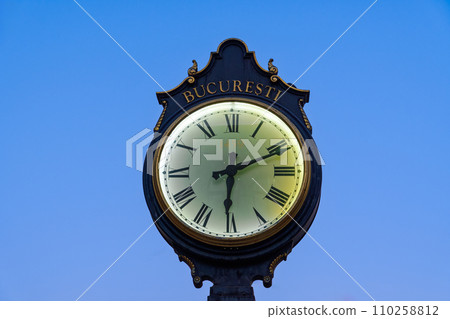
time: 6:11
